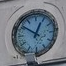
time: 12:50
